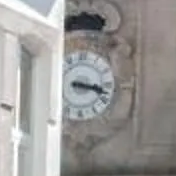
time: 3:17
